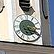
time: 5:18
